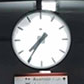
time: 7:35
